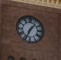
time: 1:34
